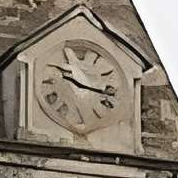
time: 10:17
